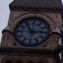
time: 2:54
